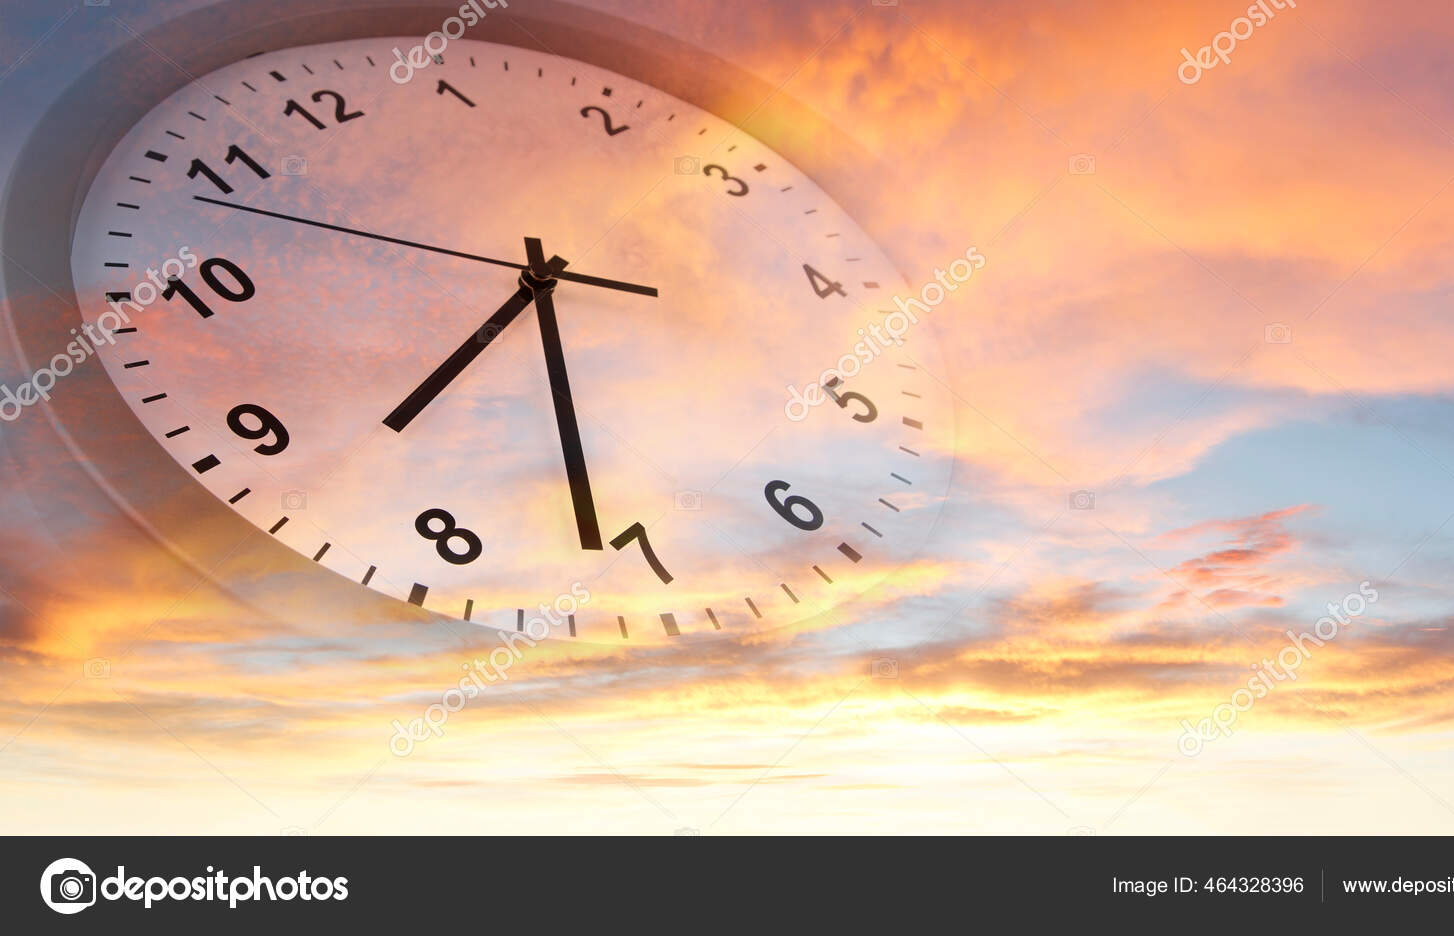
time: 7:31
